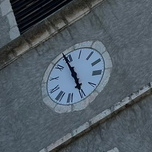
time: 4:53
